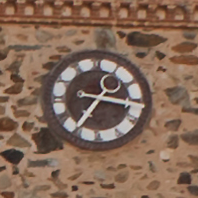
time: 7:16
